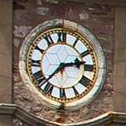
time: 2:37
